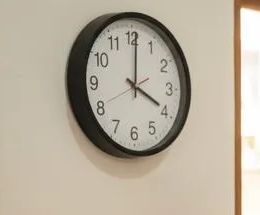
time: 4:00
